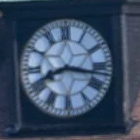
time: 8:16
